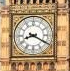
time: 8:19
